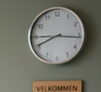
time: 8:15
